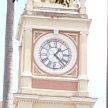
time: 1:22
